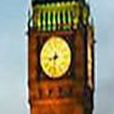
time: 8:32
